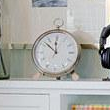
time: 11:52
